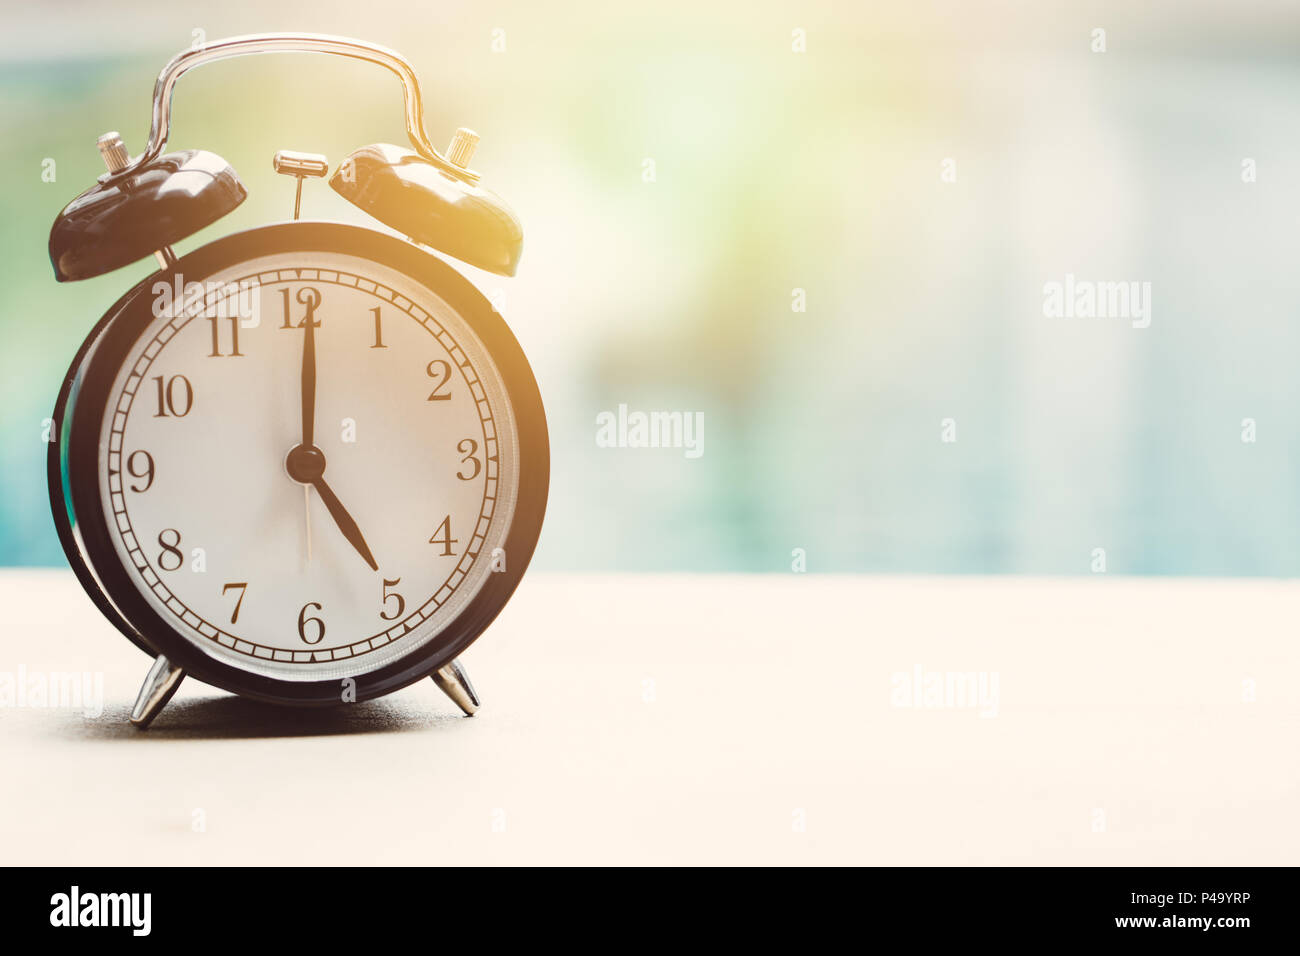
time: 5:00
